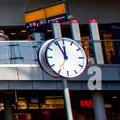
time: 11:55
